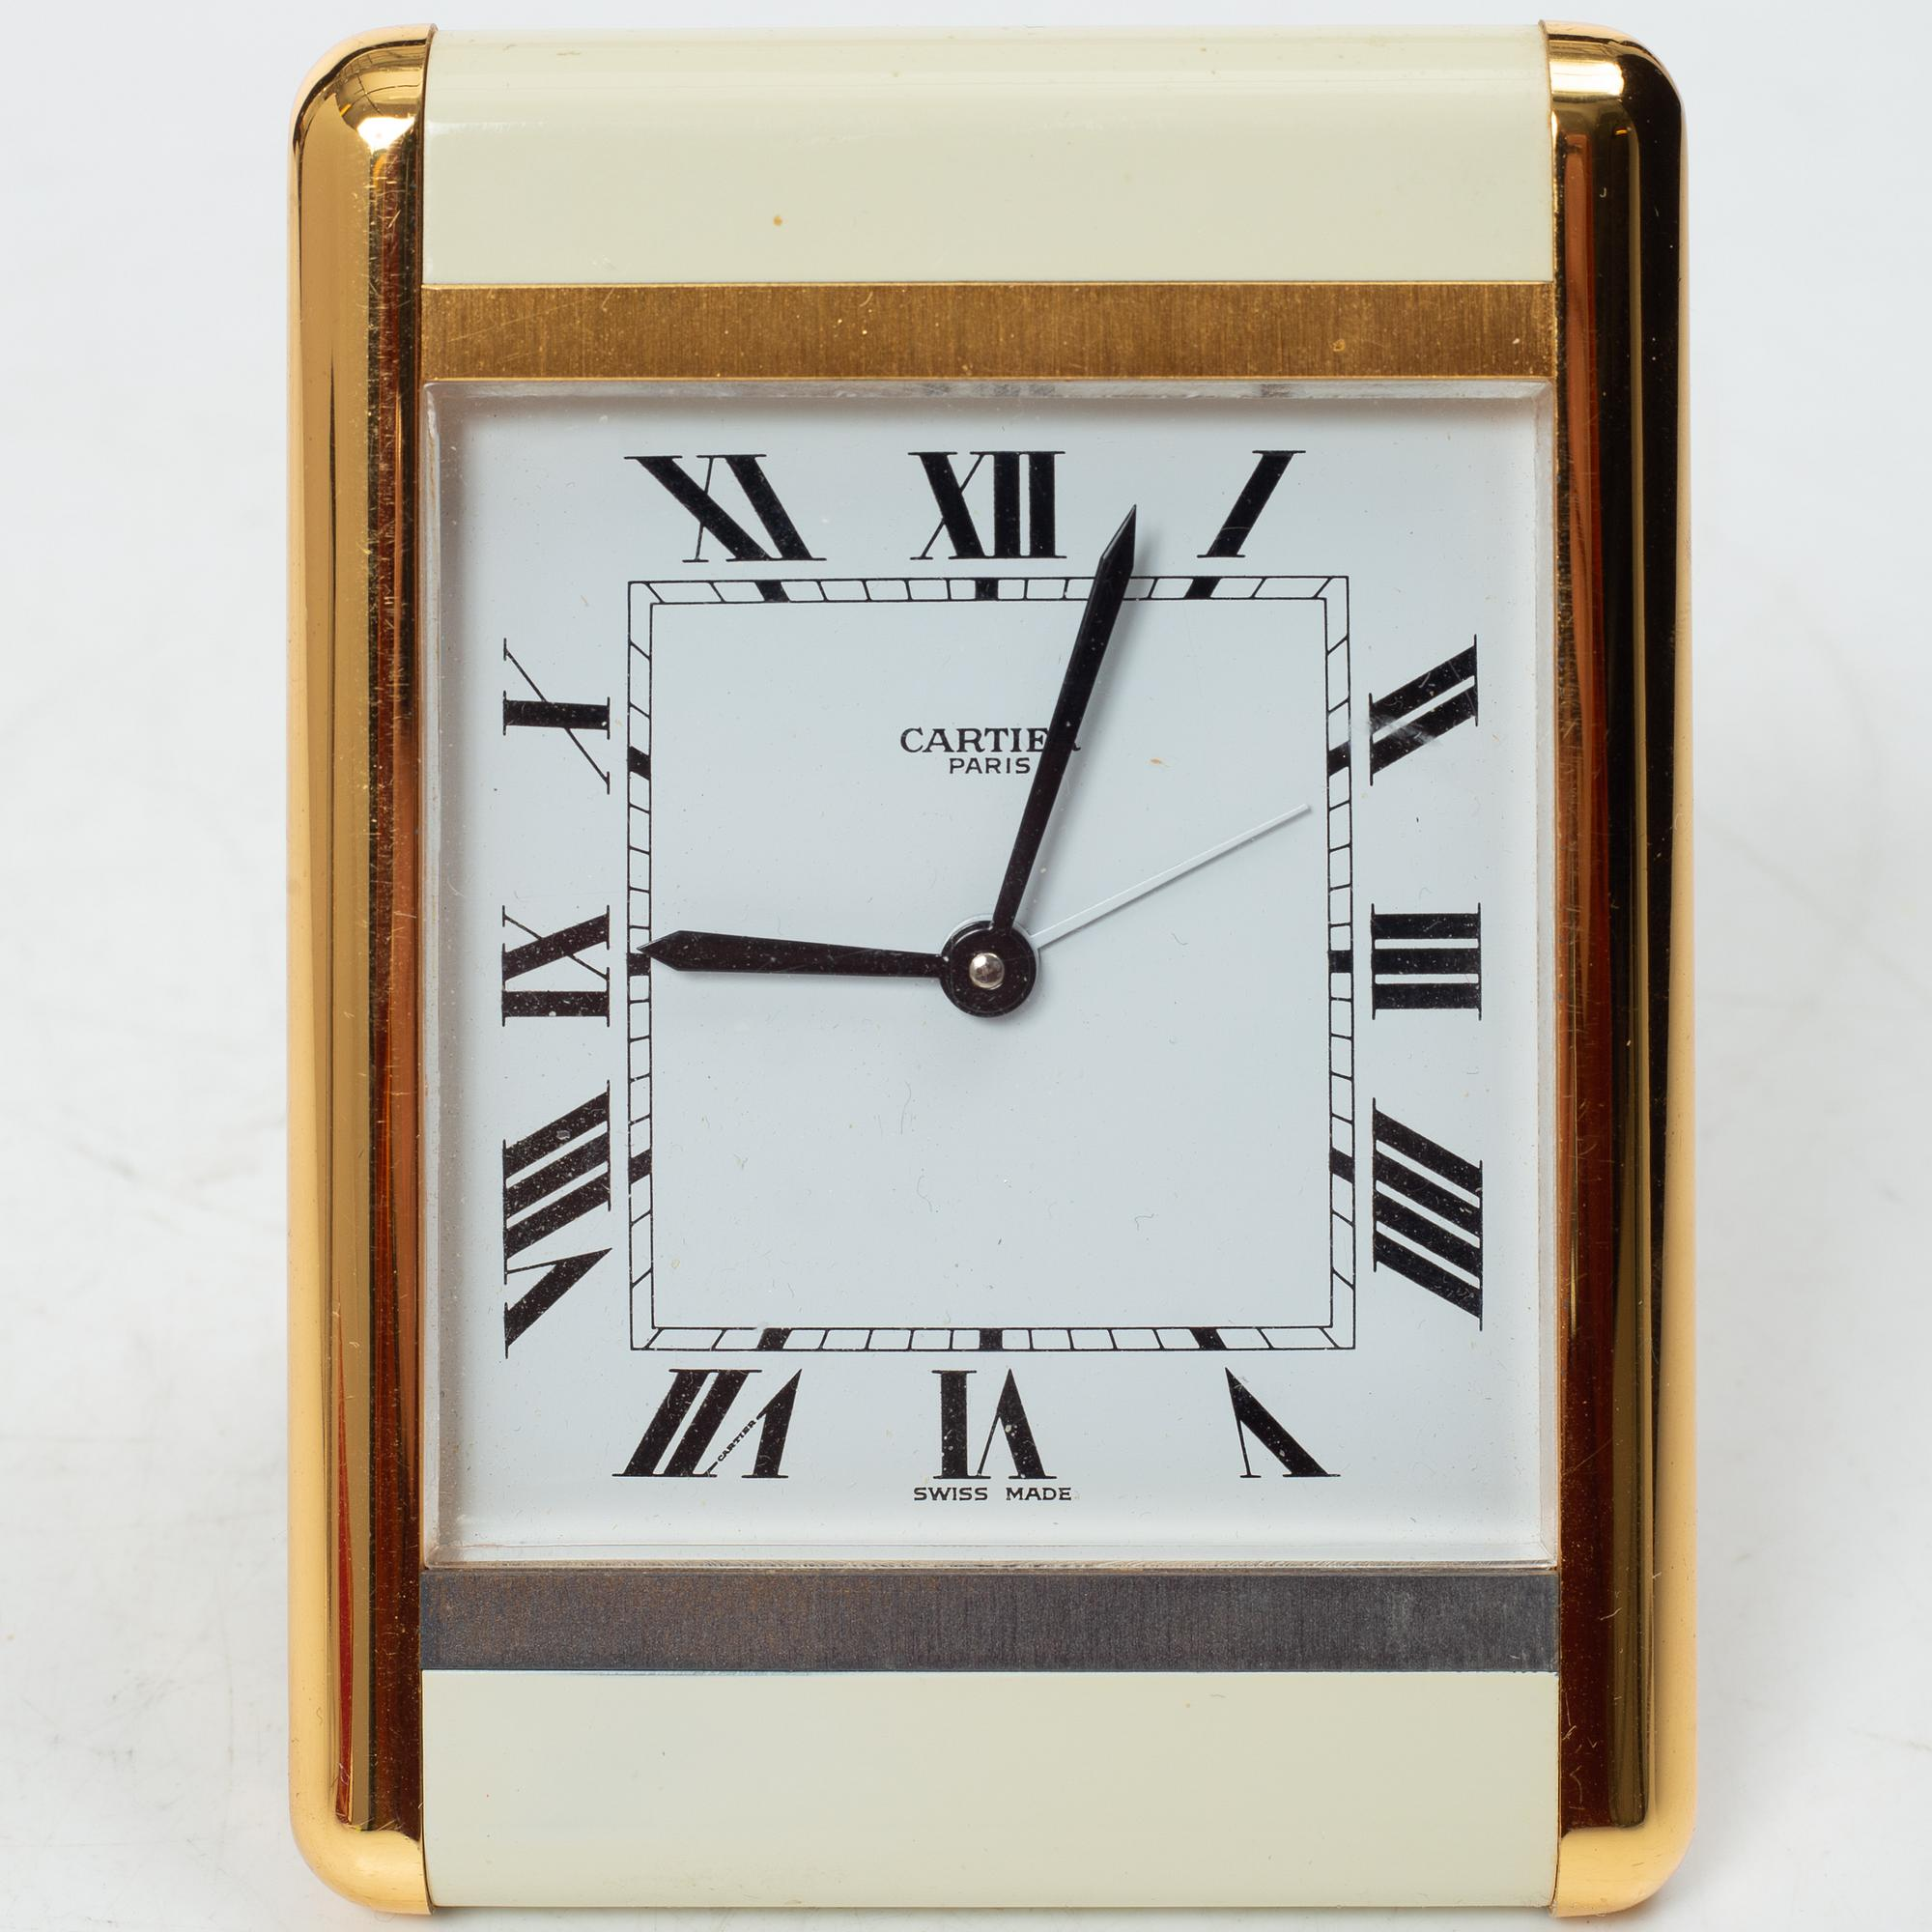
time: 9:03
